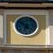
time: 6:52
